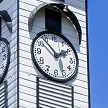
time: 1:53
